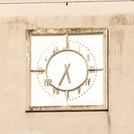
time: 5:34
